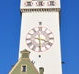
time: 3:29
